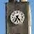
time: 4:35
